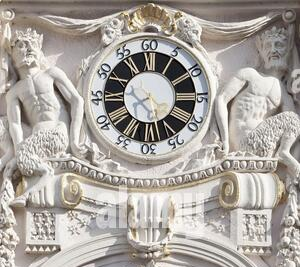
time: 5:40
